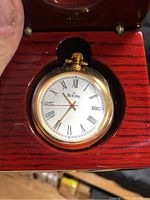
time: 10:35
